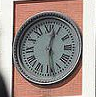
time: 12:28
